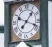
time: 1:18
